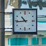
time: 10:44
